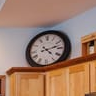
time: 4:12
